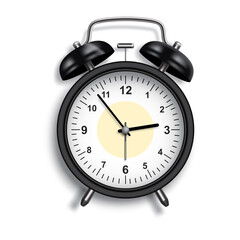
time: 2:53
